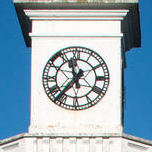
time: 11:36
